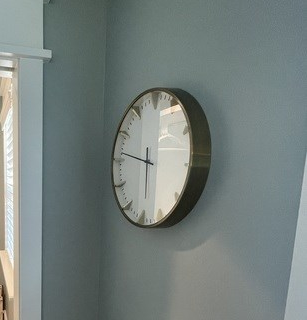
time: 5:46
